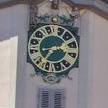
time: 2:36
